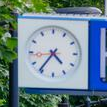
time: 4:36
